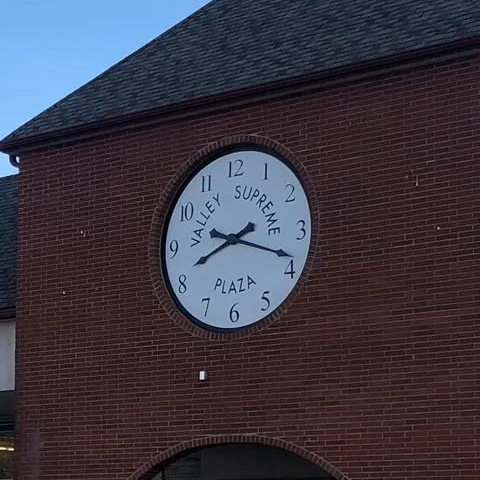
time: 8:18
